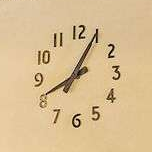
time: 8:05
